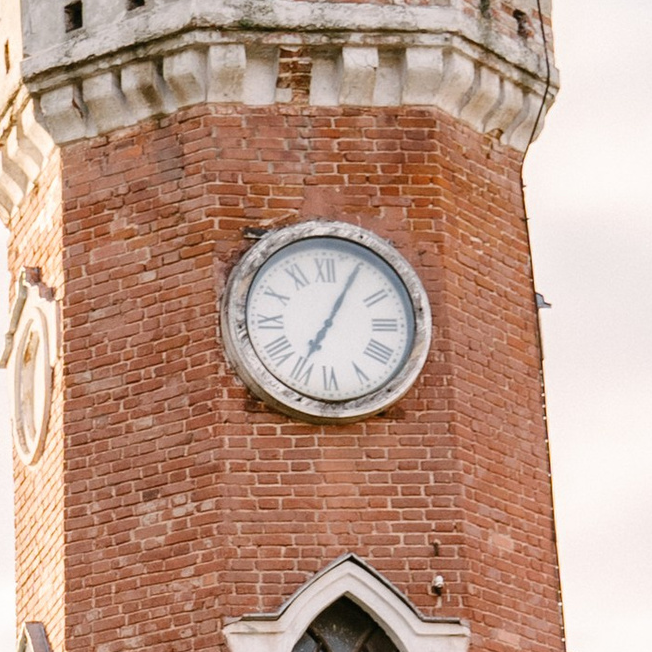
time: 7:04
